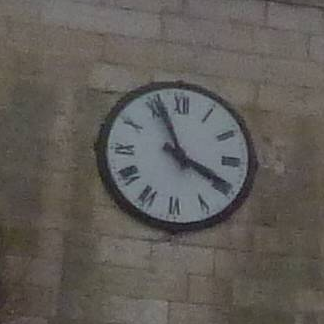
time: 3:56
